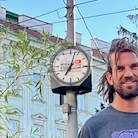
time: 7:02
